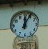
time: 12:04
